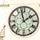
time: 1:57
